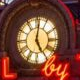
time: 5:01
